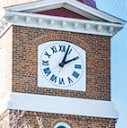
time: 2:03
